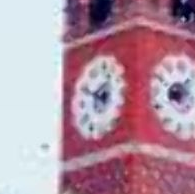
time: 12:49
